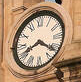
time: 8:21
